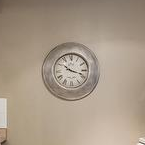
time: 10:18
